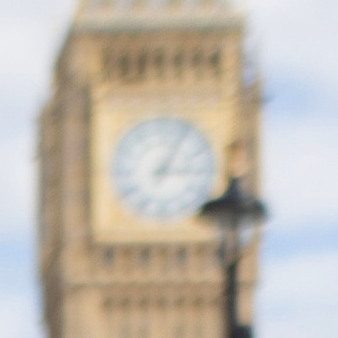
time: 3:04
